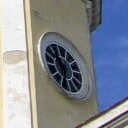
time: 10:34
